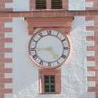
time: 4:44
